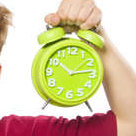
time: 10:13
